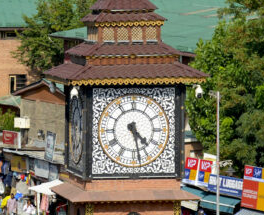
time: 4:28
